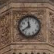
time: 11:39
